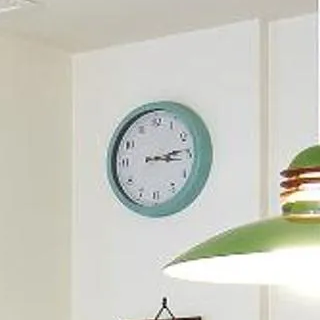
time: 3:13
